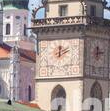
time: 2:01
